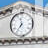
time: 11:35
